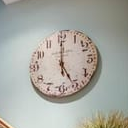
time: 5:00
